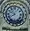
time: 7:52
